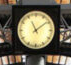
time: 11:08
